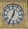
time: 12:34
